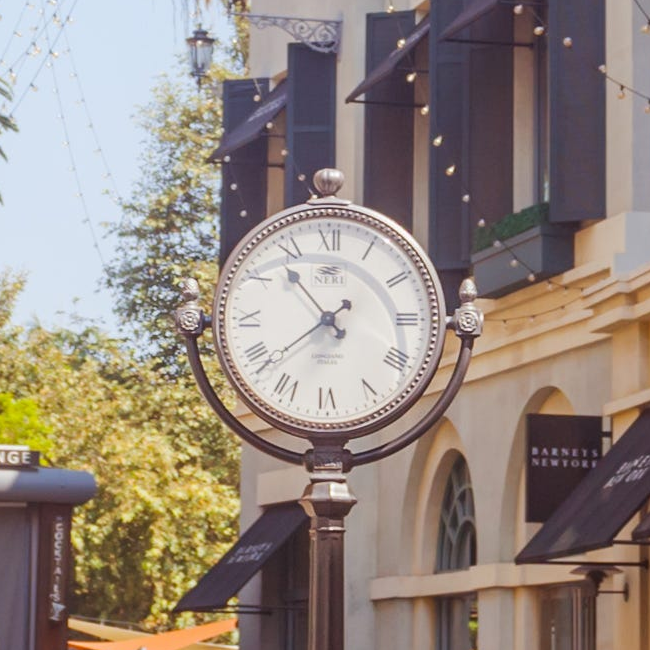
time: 10:38
